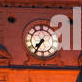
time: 7:35
